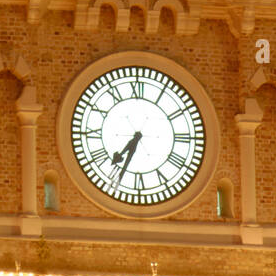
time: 7:34
